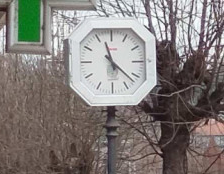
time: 11:21
